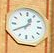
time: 12:40
